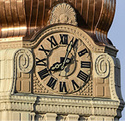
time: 8:04
